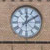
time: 12:09
